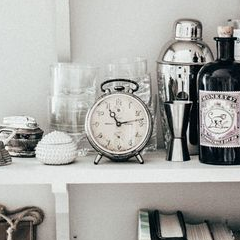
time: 11:13
